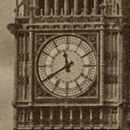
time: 11:39
